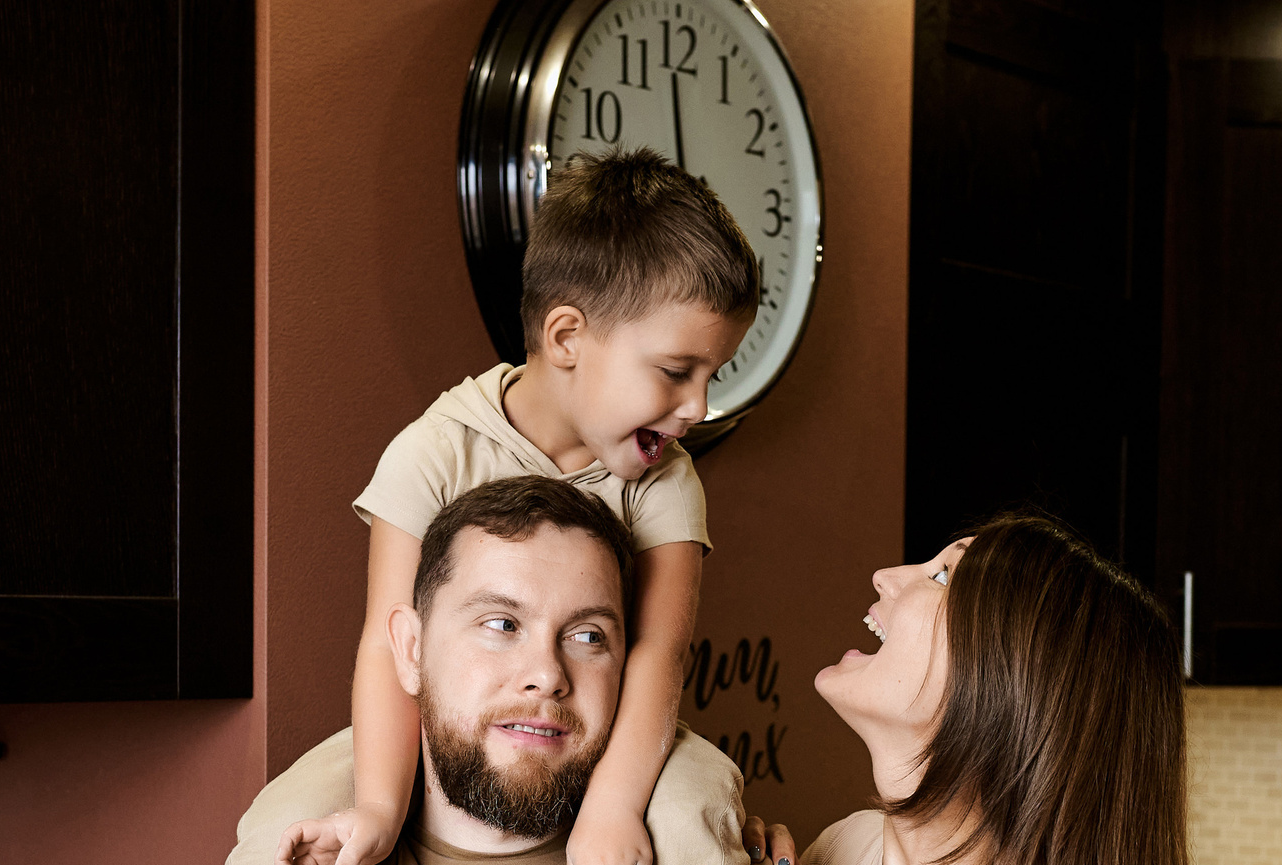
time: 3:58
